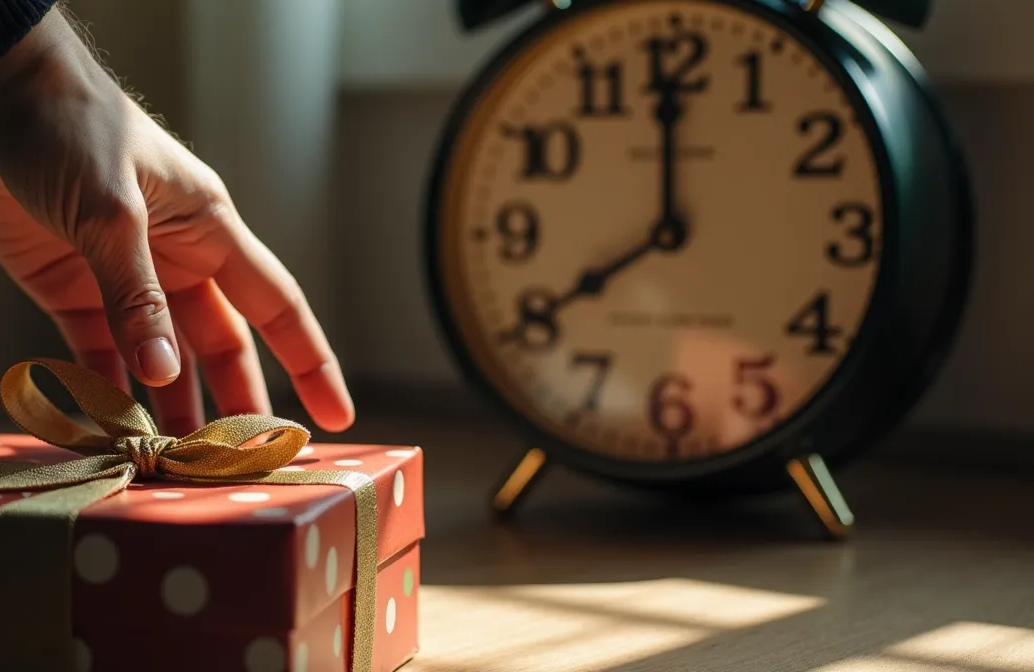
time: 7:59
